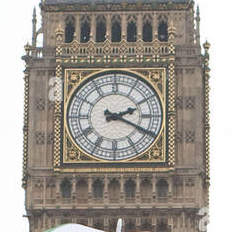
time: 2:19
